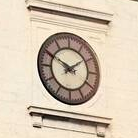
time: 1:50
